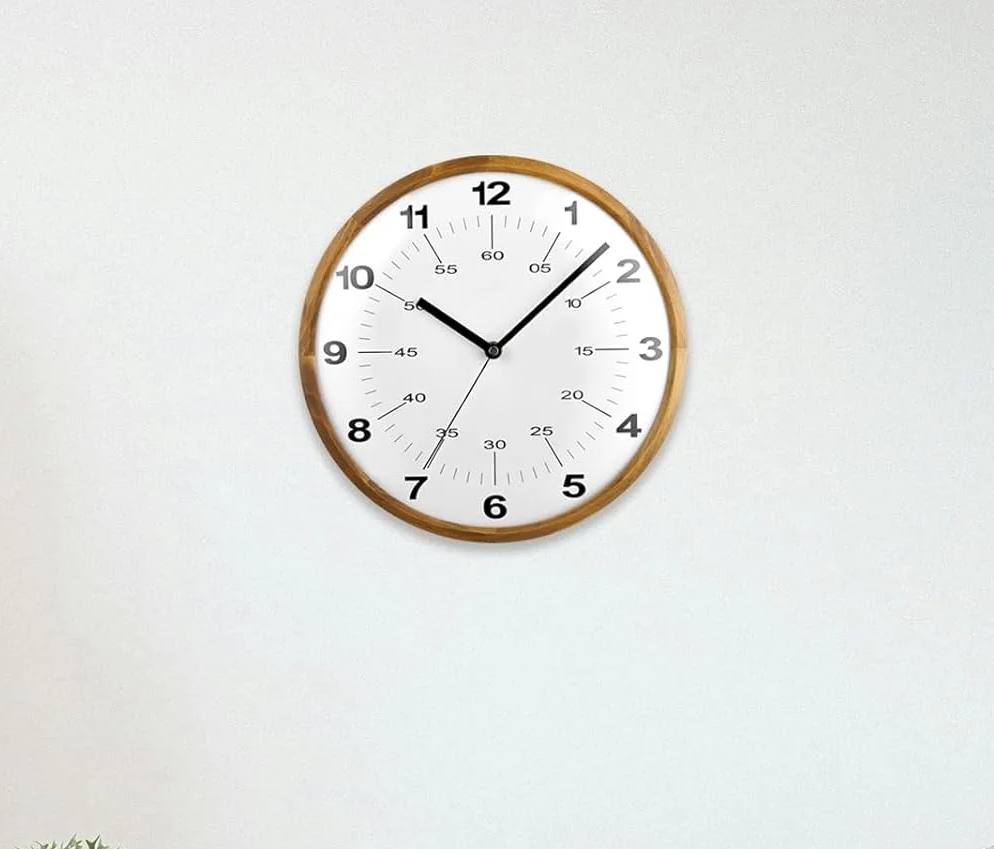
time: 10:07
